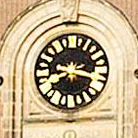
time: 8:16
